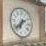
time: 6:38
